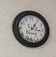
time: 1:16
